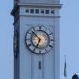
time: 6:52
